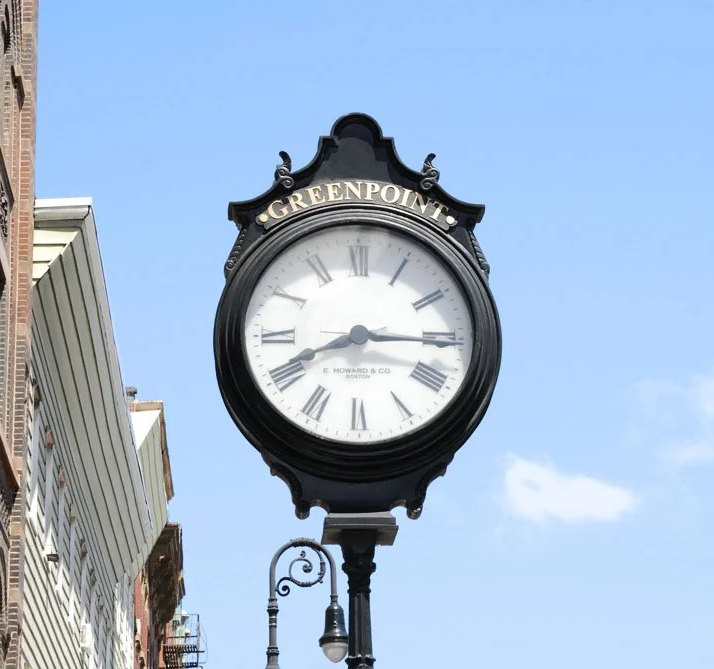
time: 8:15
